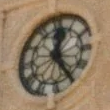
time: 12:24
